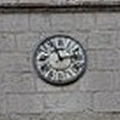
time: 2:56
